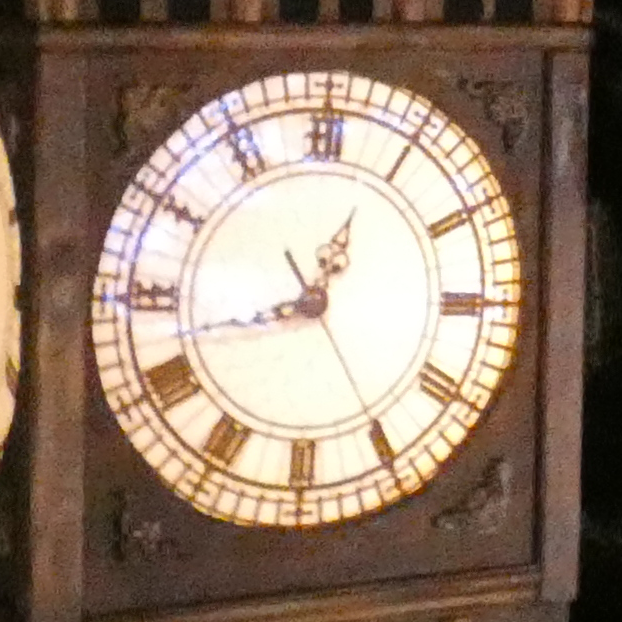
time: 12:42
